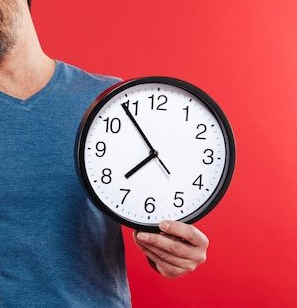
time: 7:53
